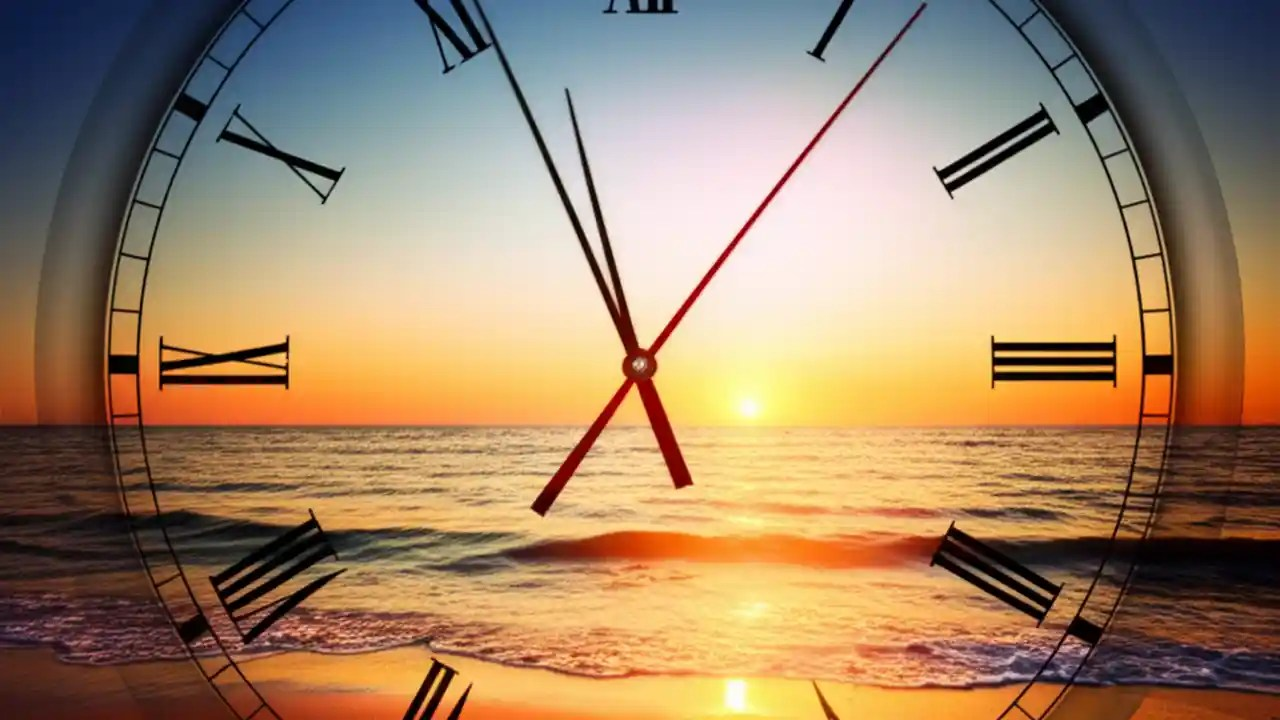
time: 6:56
